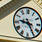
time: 9:25
